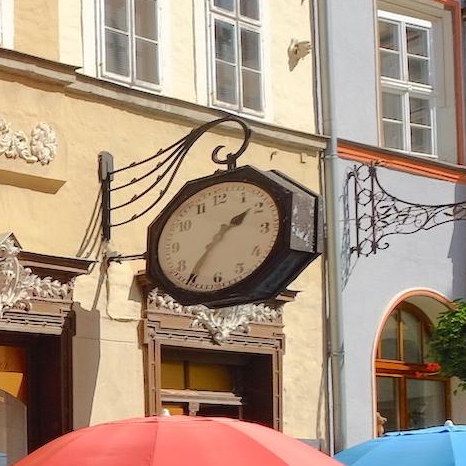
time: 1:35
